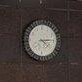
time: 4:14
